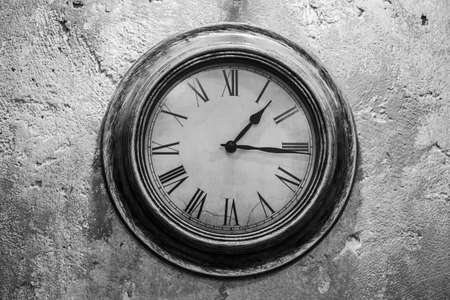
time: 1:16
